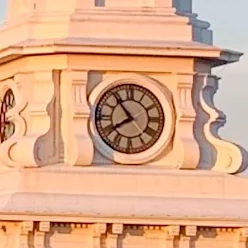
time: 7:53
